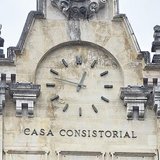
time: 12:47
